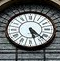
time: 5:22
